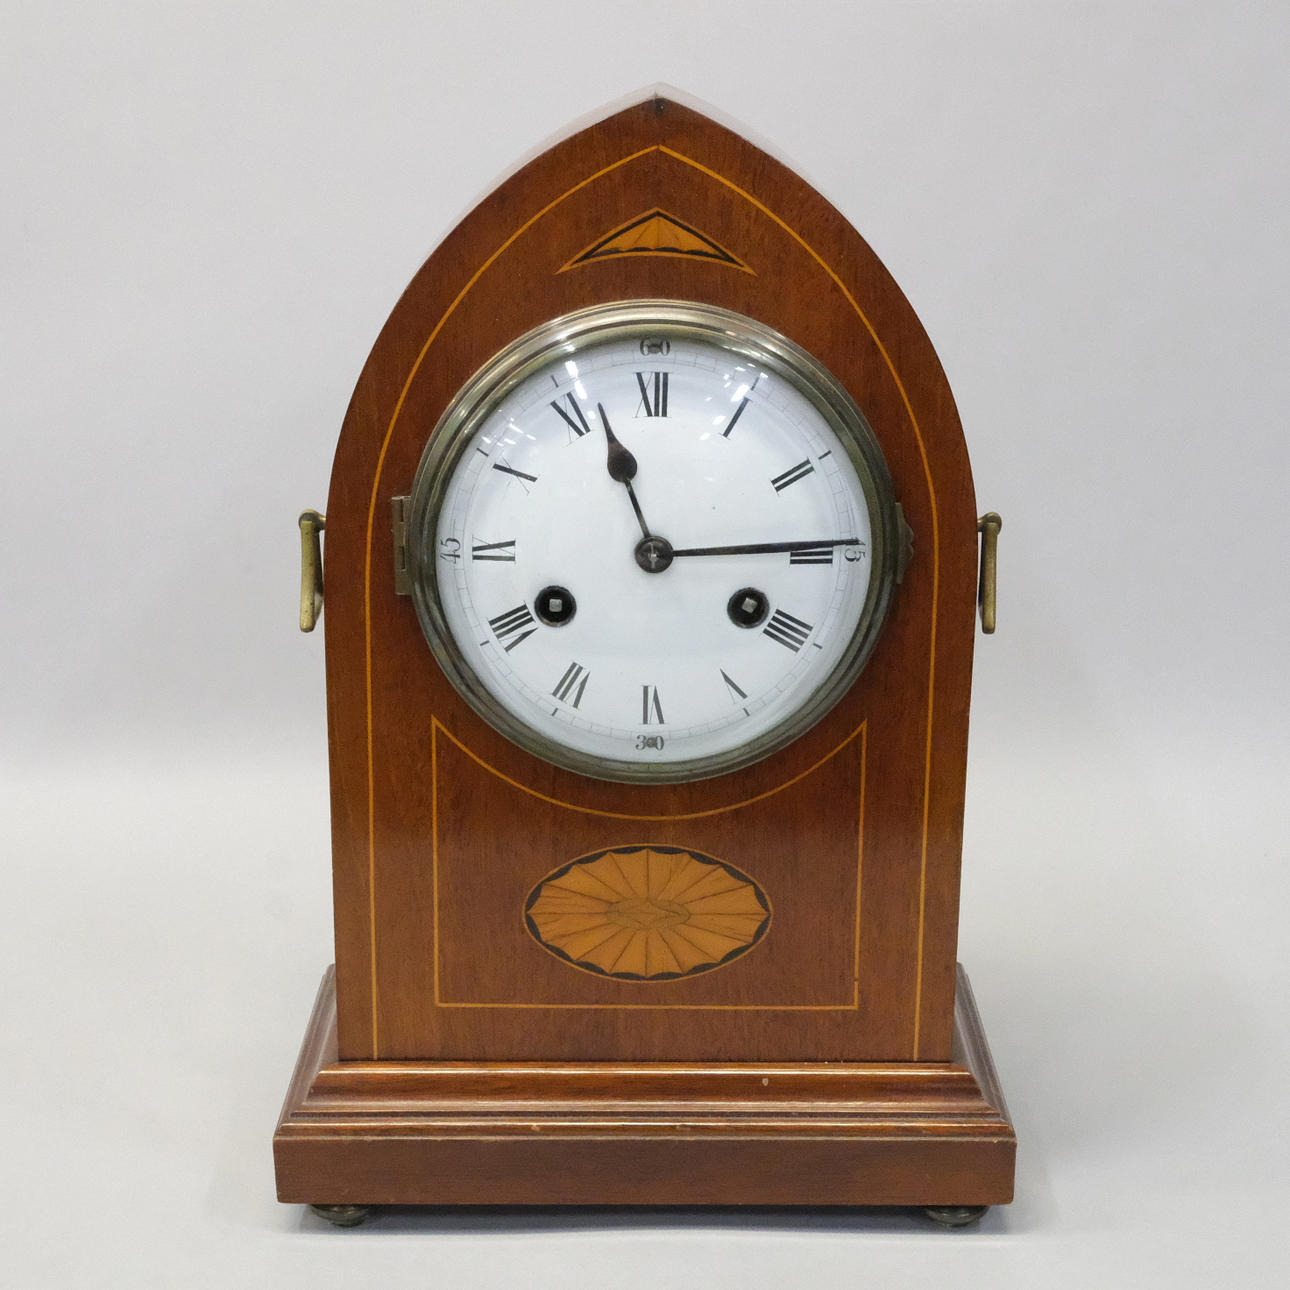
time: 11:14
